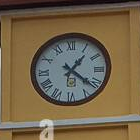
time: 1:21
